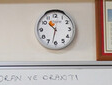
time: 10:32
